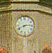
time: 8:14
